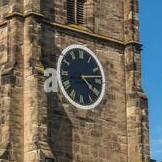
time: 4:13
